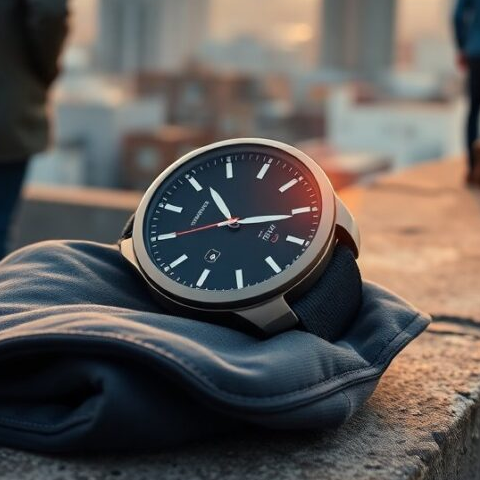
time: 11:15
